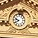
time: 9:40
